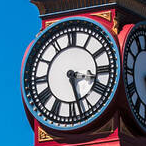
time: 3:27
